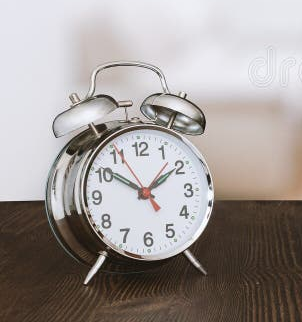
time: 1:50
